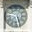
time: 5:26
